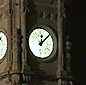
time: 12:07
